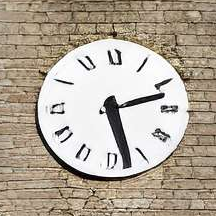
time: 2:27
